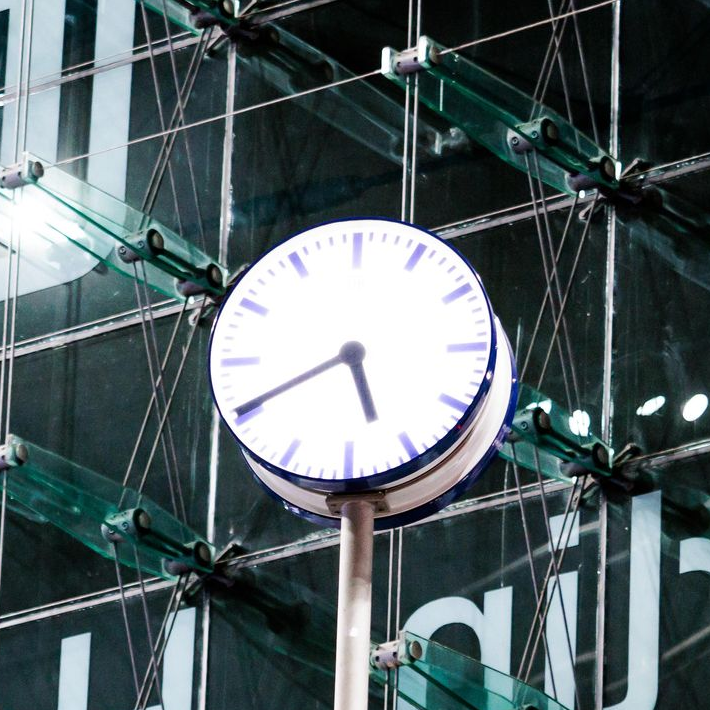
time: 5:40
